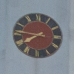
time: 7:46
